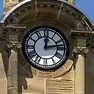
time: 12:13
